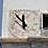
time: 11:52
